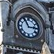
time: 2:55
